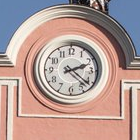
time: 2:21
